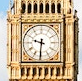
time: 9:31
